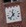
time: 11:37
